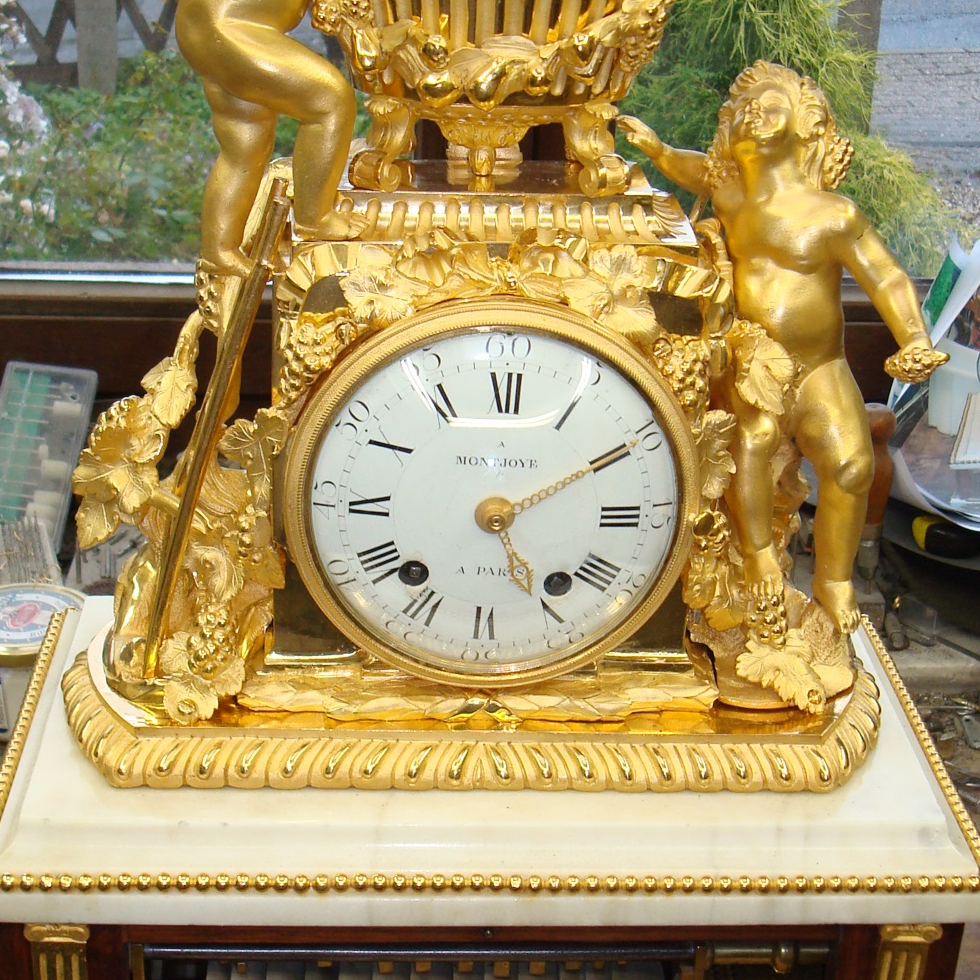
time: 5:10
